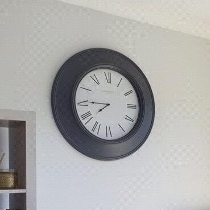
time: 7:45
